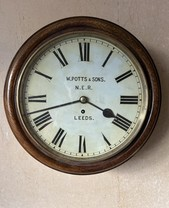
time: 3:42
